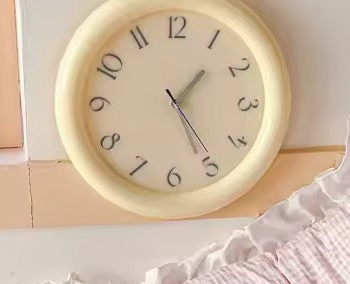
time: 1:25
